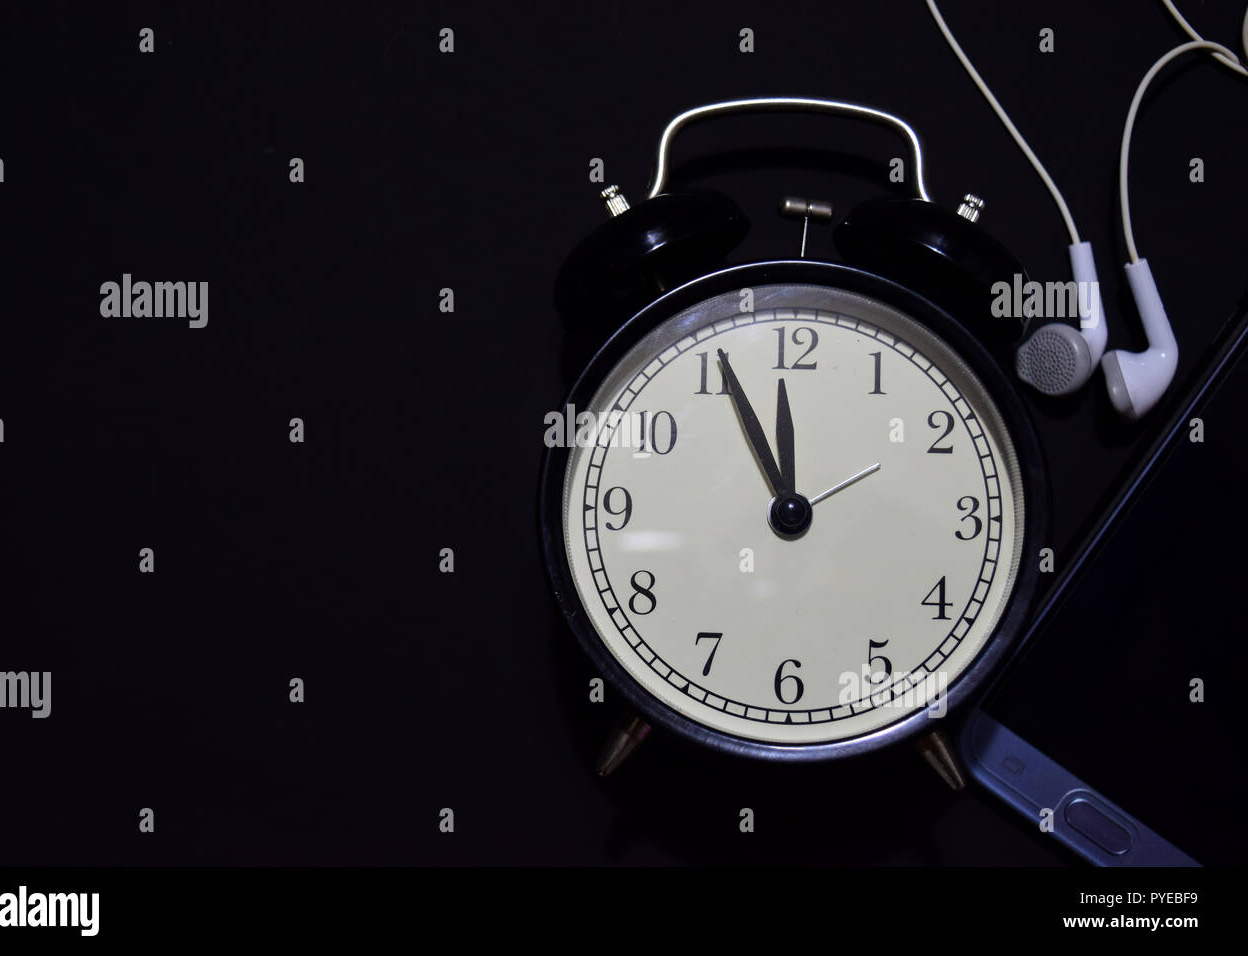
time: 11:55
